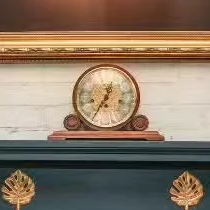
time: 12:34
